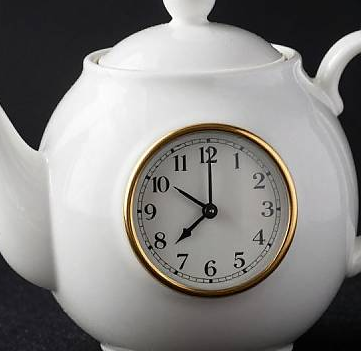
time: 10:00
